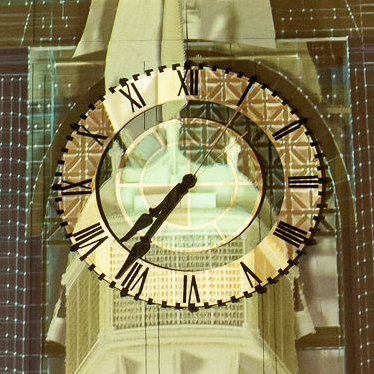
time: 7:35
